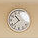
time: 10:37
